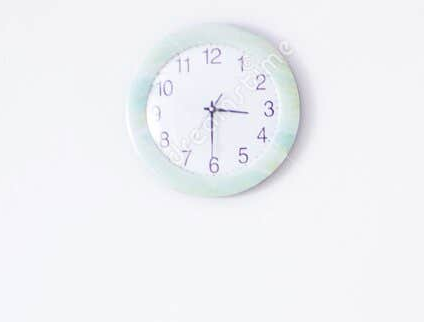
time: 3:30
